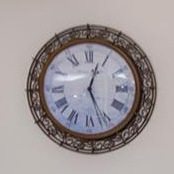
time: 12:26
